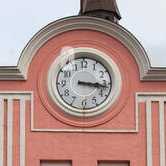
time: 3:16
